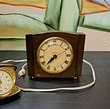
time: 7:37
